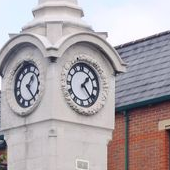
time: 1:23
